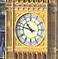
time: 10:47
